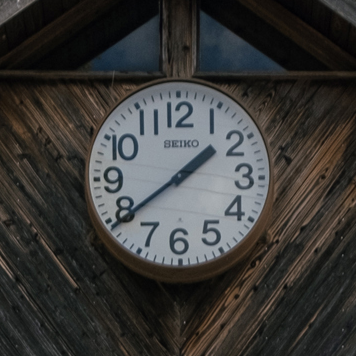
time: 1:39
